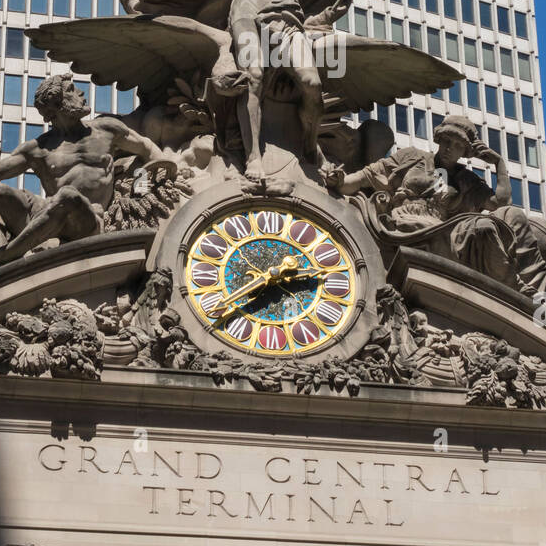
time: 2:38
